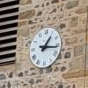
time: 1:16
